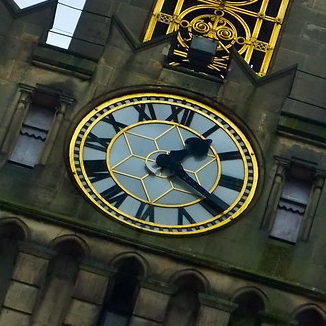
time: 1:20
